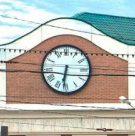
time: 6:31
